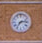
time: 7:13
